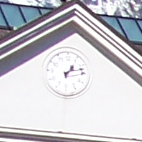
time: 1:12
